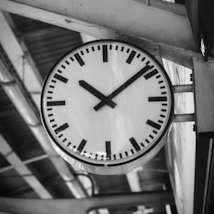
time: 10:08
